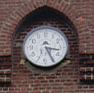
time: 3:25
